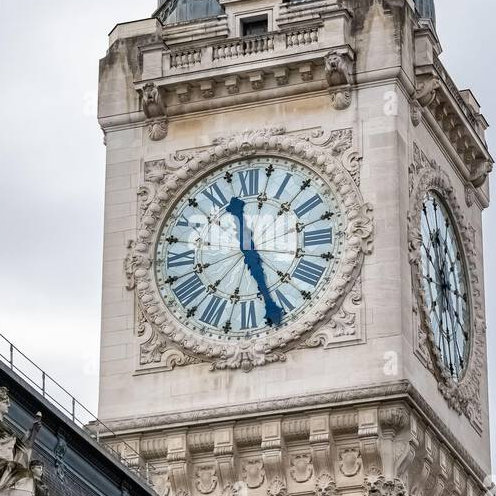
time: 11:25
